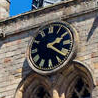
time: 2:21
